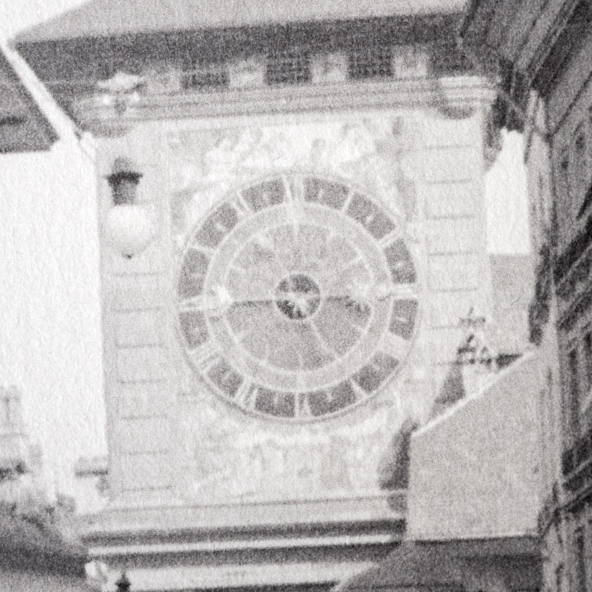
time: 4:44
